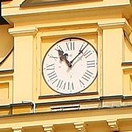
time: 11:07
